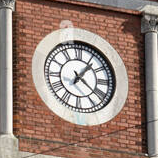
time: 1:21
